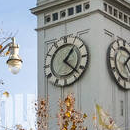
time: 1:22
